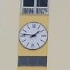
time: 1:46
